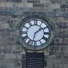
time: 1:32
